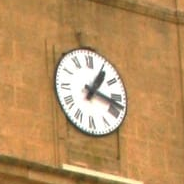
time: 1:17
